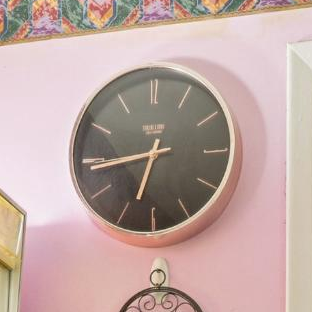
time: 6:43
